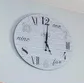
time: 5:00
